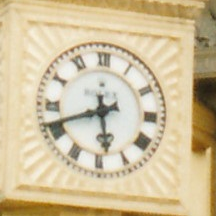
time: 5:41
